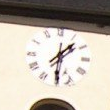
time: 1:29
